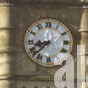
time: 8:37
